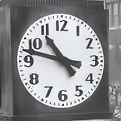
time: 10:47
